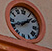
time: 1:41
